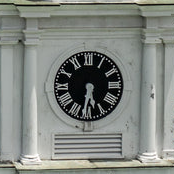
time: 5:31
